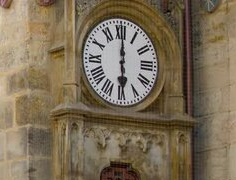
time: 6:00
